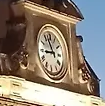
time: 8:56
